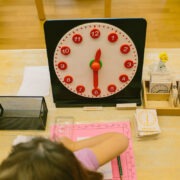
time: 12:30
